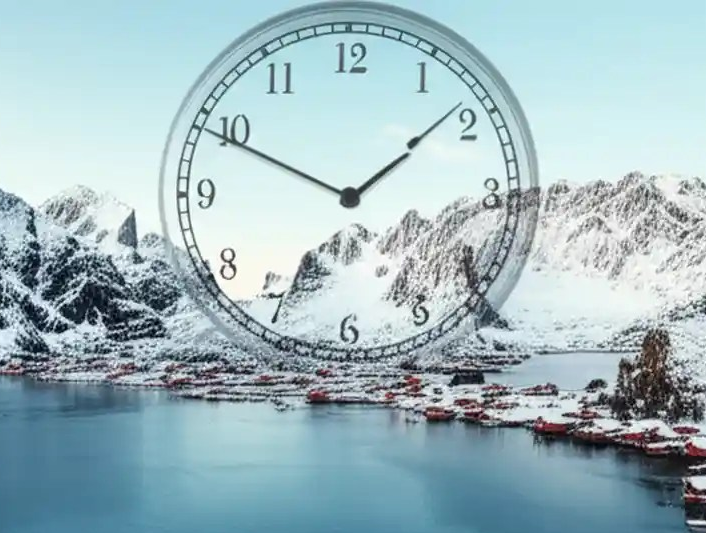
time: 1:49
